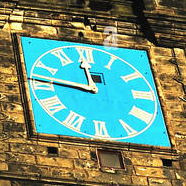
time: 11:46
